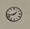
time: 1:43
